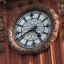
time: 4:41
